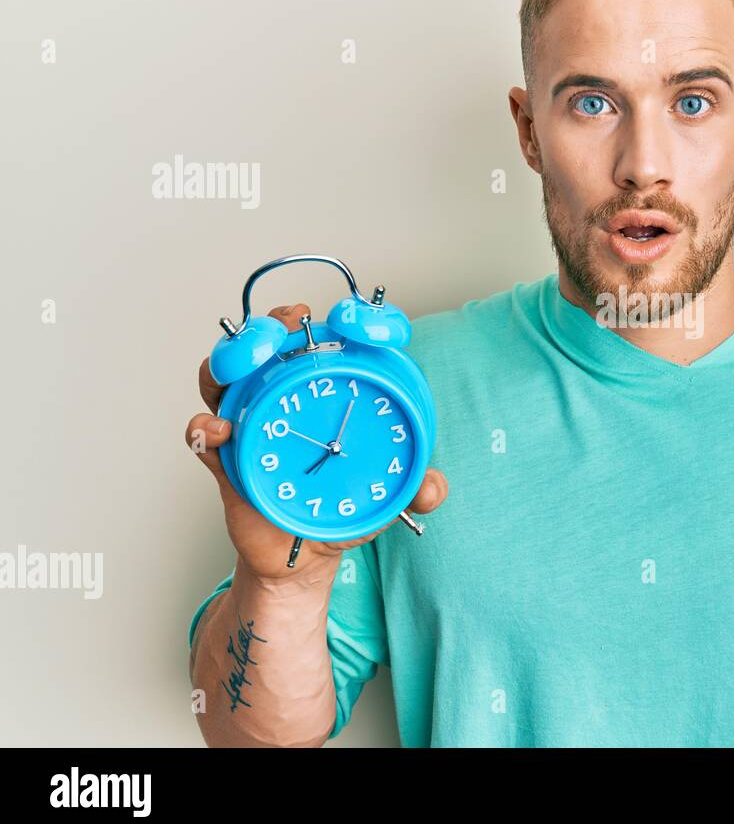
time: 8:05
